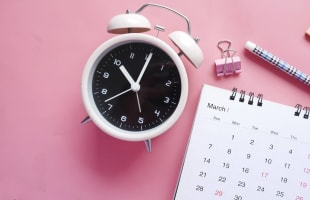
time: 11:05
